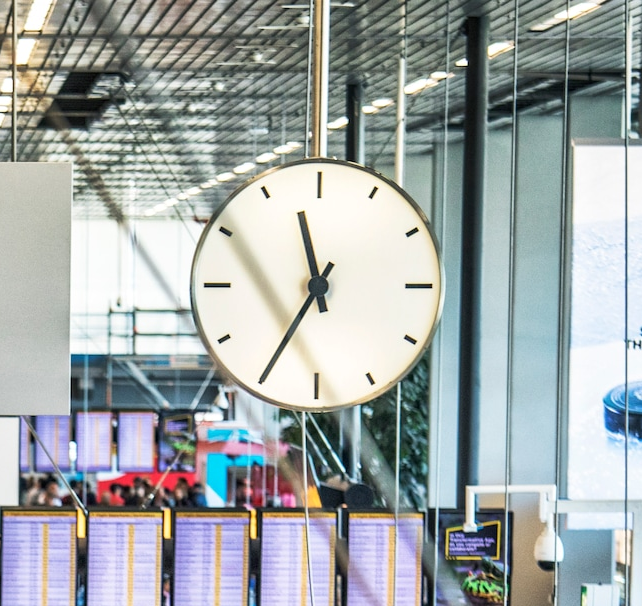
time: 11:35
